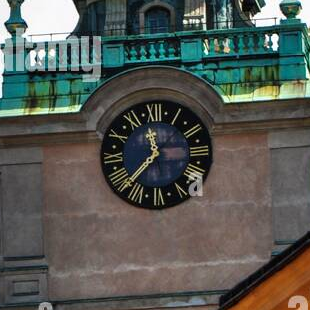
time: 11:37
